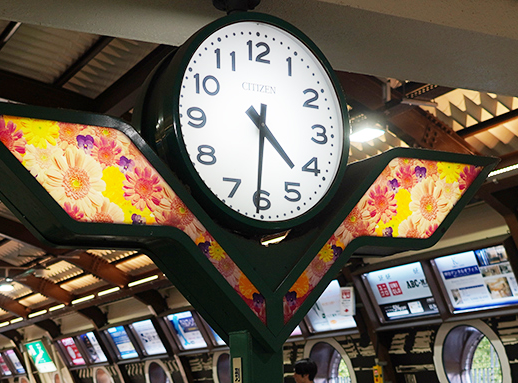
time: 4:31
